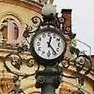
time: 12:23
